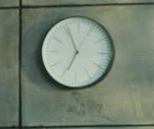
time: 6:56
